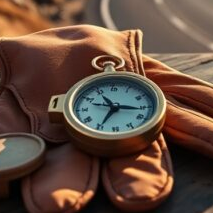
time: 11:16
